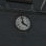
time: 3:58
